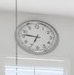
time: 6:46
